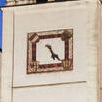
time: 5:23
